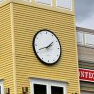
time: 1:41
